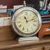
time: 11:12
